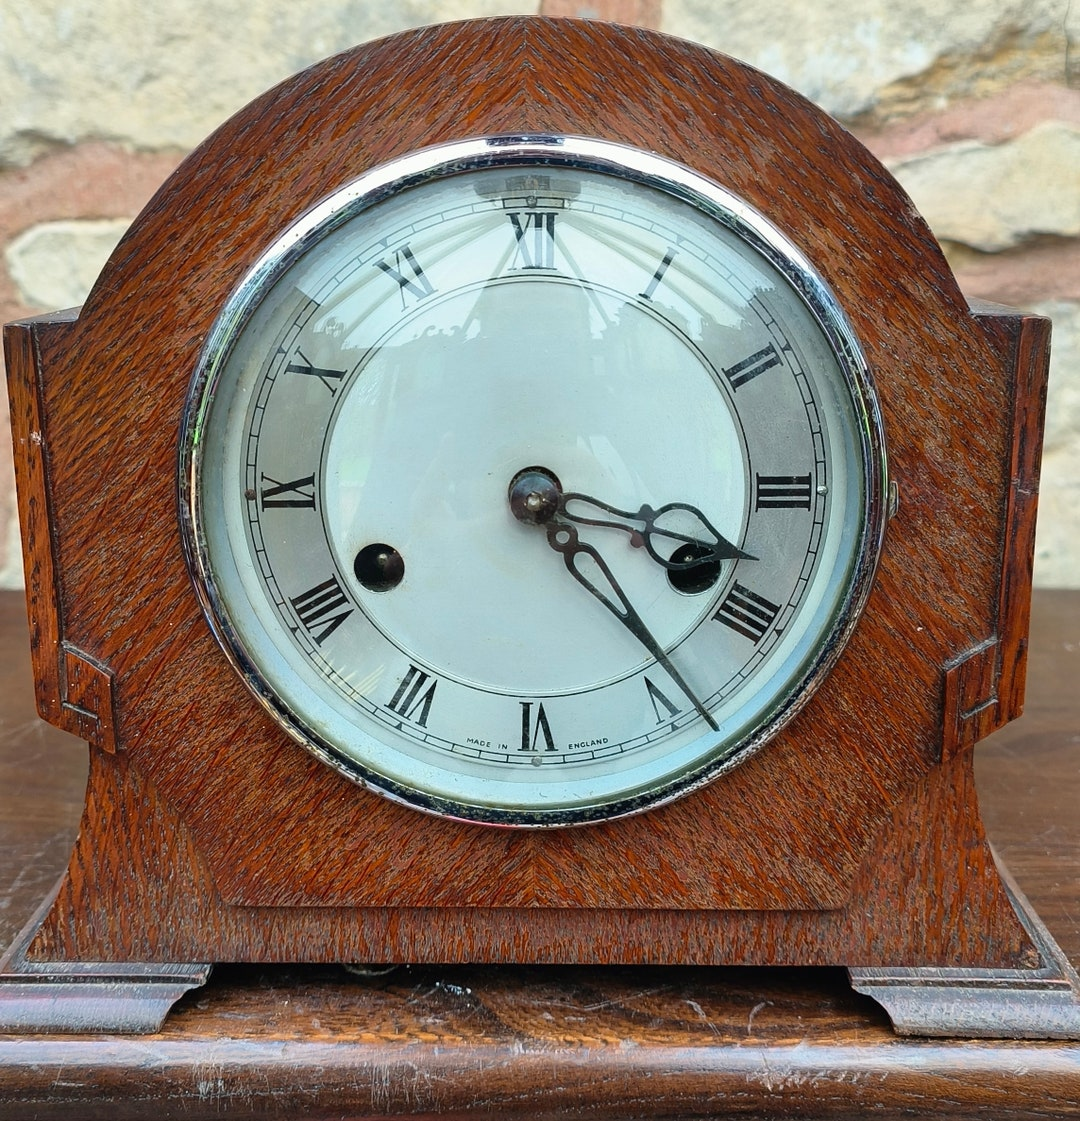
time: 3:23
